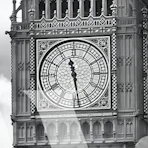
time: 11:28
